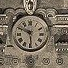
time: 5:49
